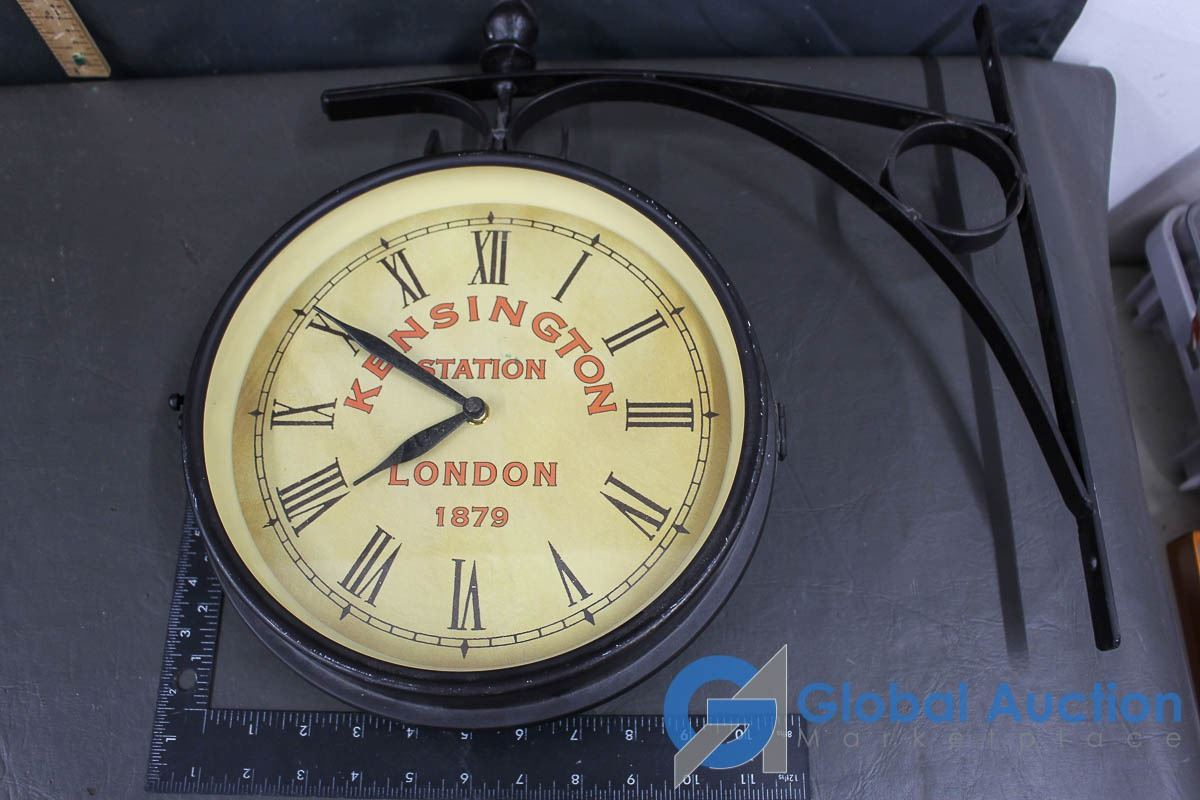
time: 7:50
